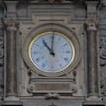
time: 11:01
